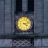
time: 4:12
